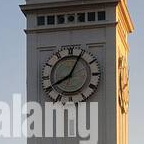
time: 8:04
